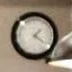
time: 1:21
